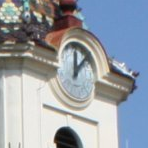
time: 12:07
